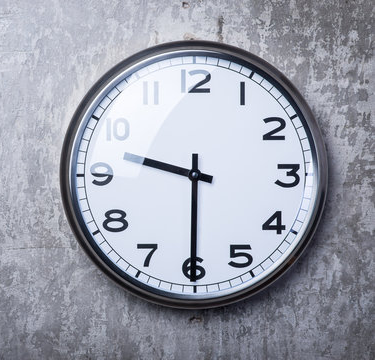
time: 9:30
